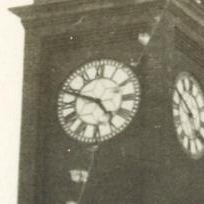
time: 4:48
